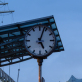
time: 5:03
